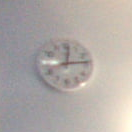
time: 12:13
